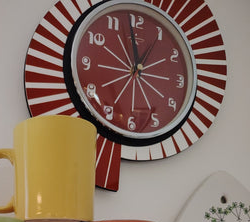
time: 11:58
